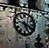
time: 5:18
